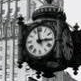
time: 2:58
